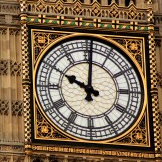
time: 10:00
